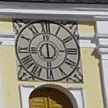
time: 5:59
